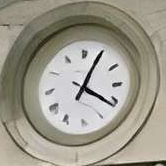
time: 4:04
